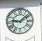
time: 9:08
